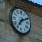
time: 7:10
